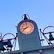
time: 8:38
